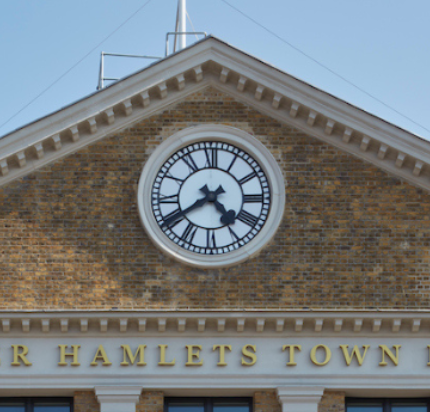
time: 4:39
